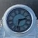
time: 2:32
